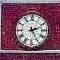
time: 2:25
